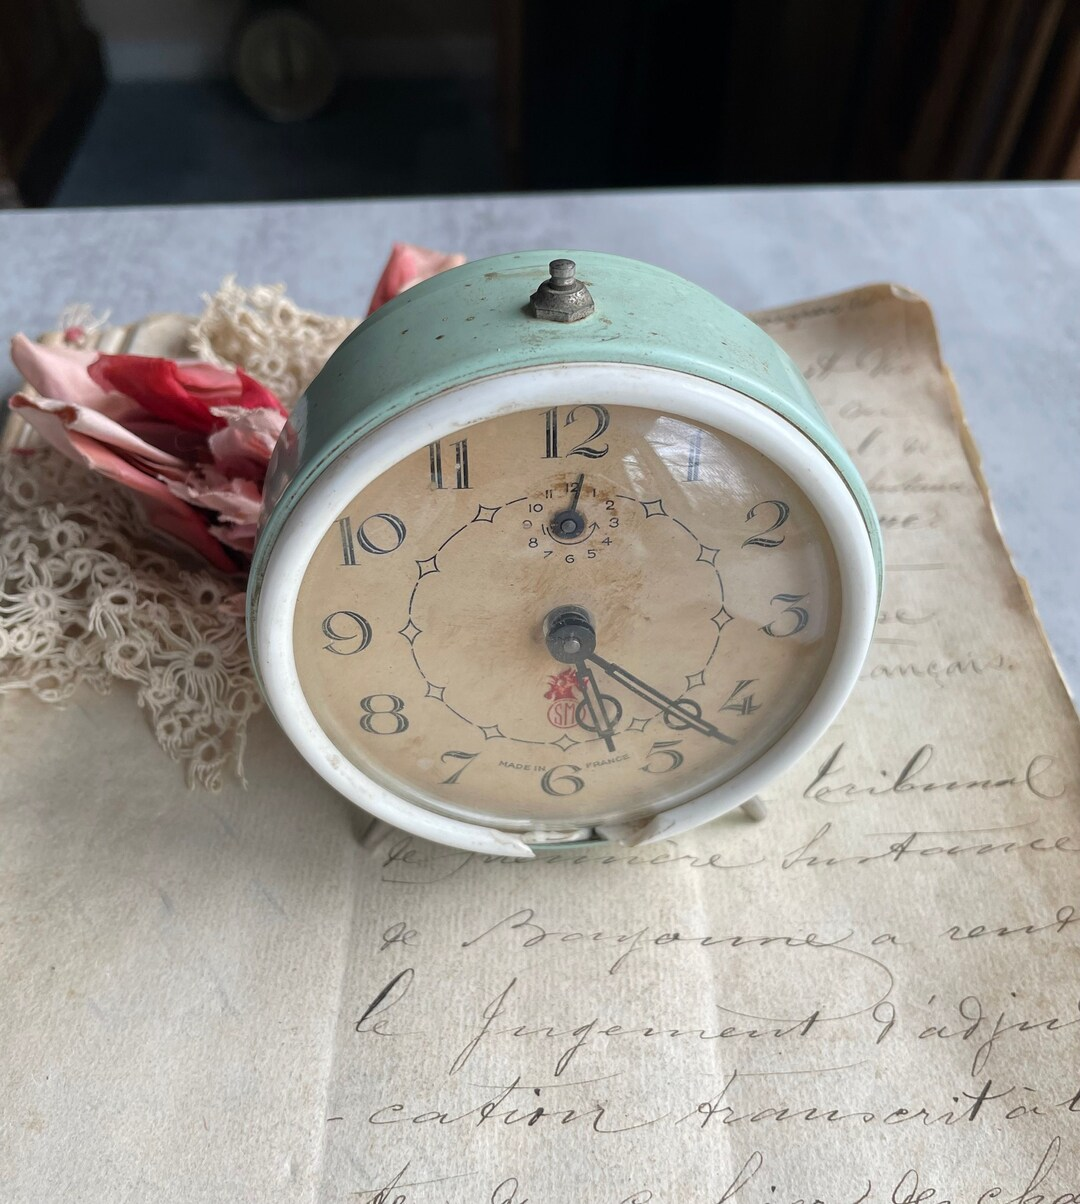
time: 5:21
